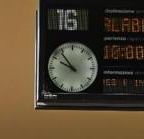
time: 9:53
